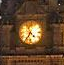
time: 4:34
